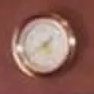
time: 4:40
